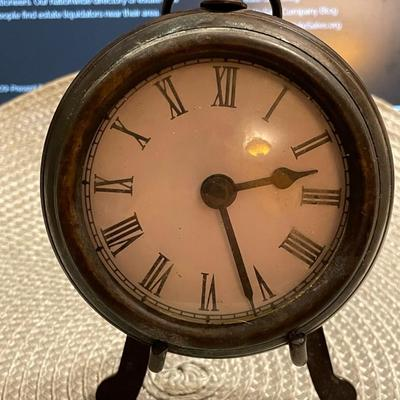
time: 2:26
